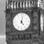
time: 5:01
